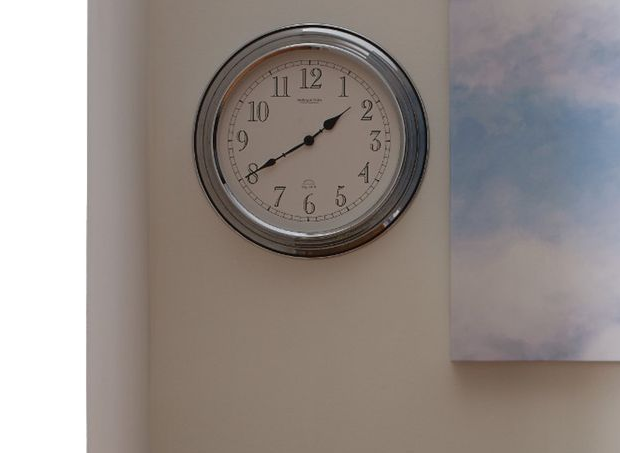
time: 1:39
